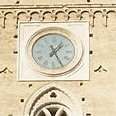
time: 1:25
